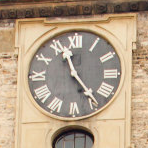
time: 11:23
